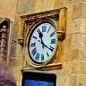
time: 11:20
